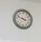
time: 3:48
